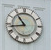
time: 10:43
